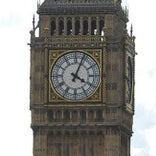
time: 4:04
